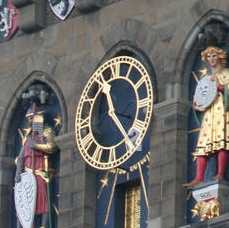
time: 11:22
